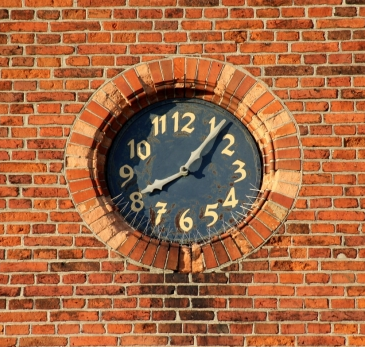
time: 8:07
